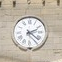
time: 2:21
